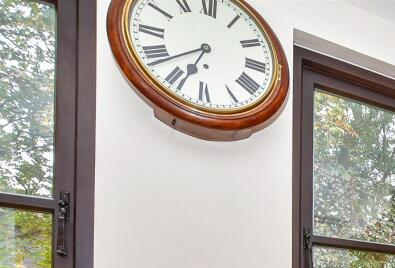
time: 6:38
